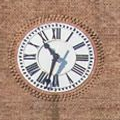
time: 10:32
